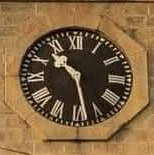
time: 10:28
